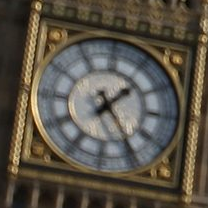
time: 1:24
